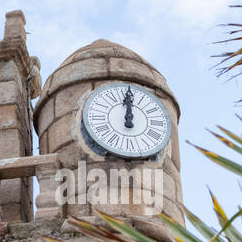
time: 12:00
